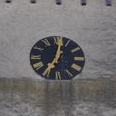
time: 7:01
